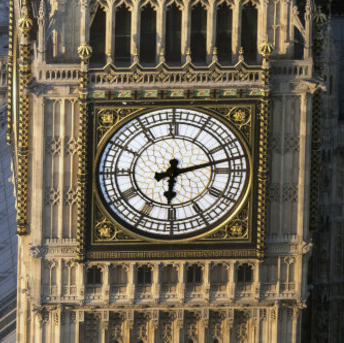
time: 6:12
